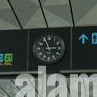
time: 2:56
